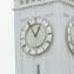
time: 12:55
